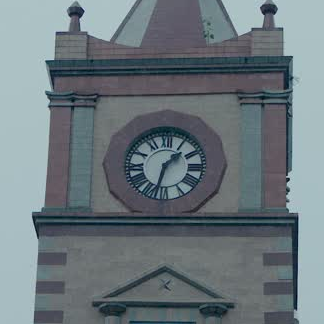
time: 1:32
